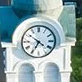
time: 6:50
